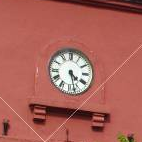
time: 4:27
